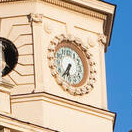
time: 6:36
